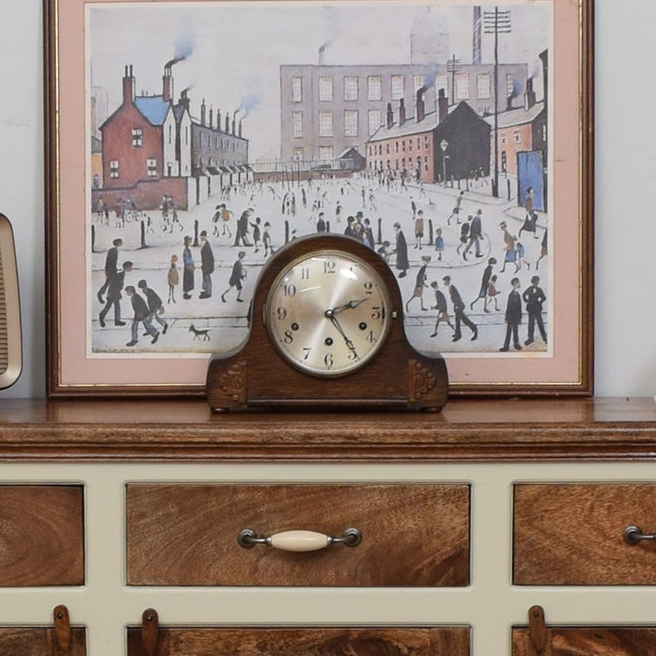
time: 2:24
